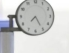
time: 7:25
